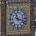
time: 11:17
